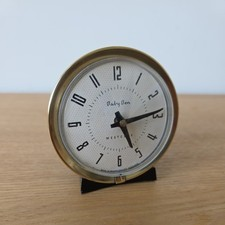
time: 5:13
